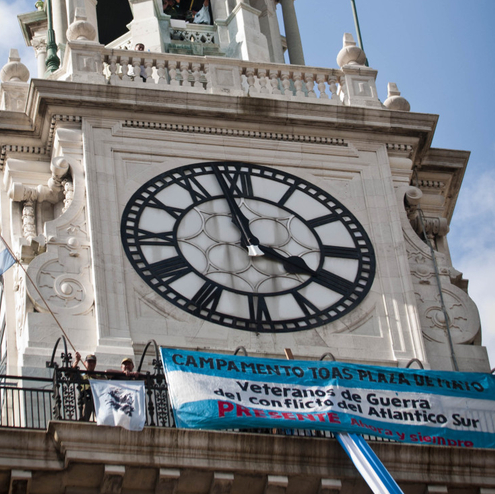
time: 3:57
